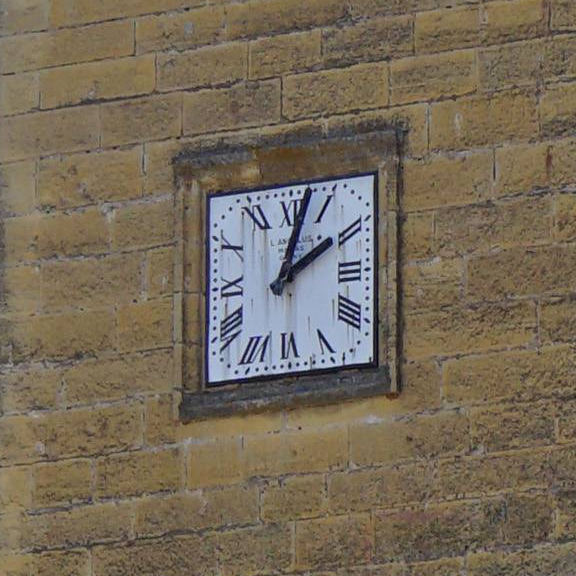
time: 2:02
